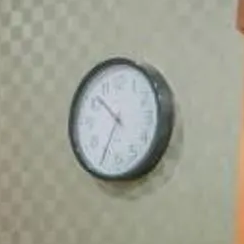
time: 10:34
